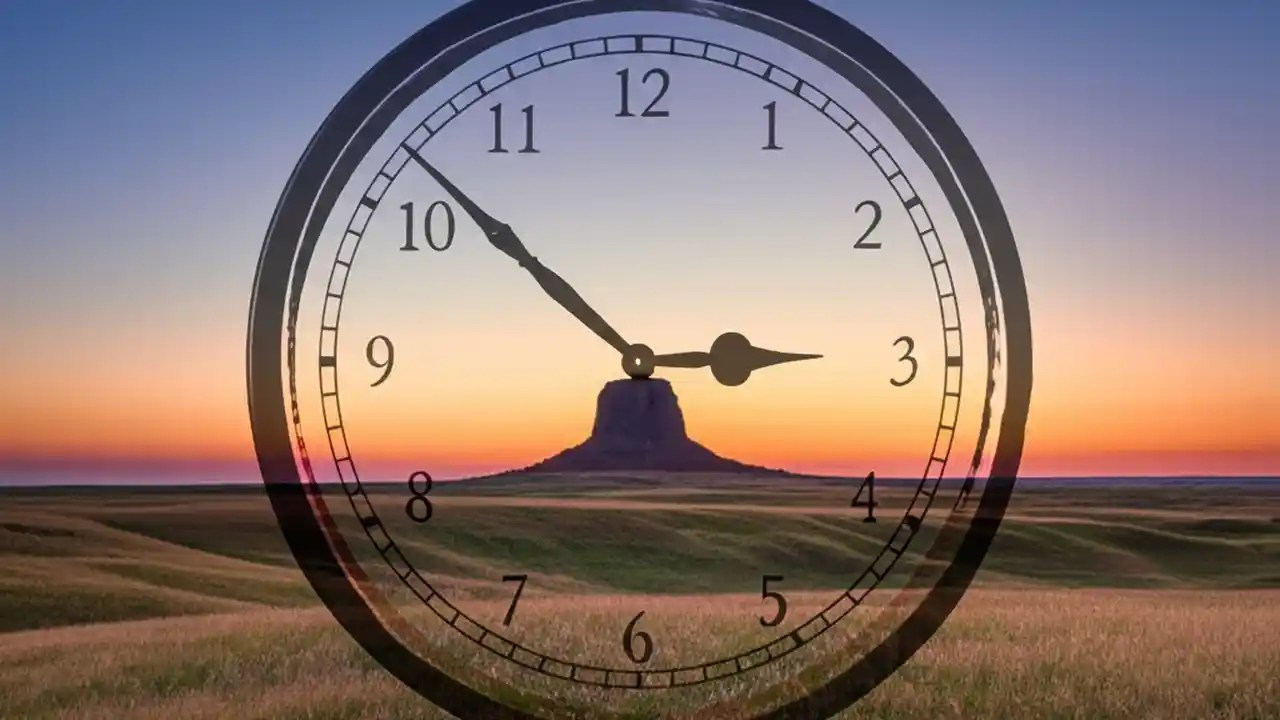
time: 2:52
